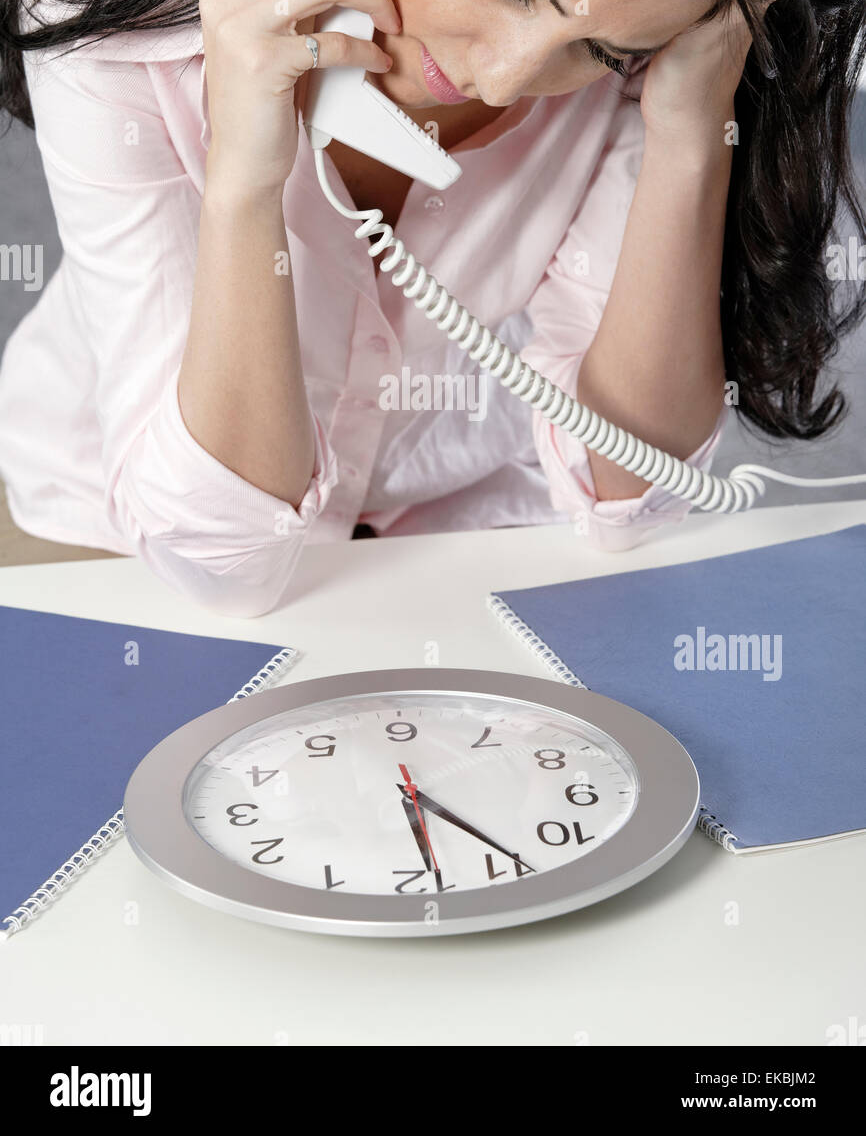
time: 4:28
